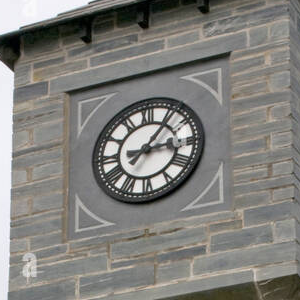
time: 3:06
